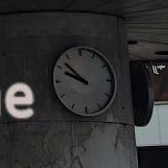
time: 9:52
